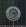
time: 4:12
